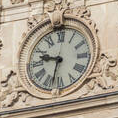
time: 9:32
